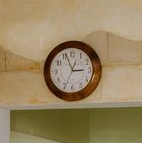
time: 2:56
